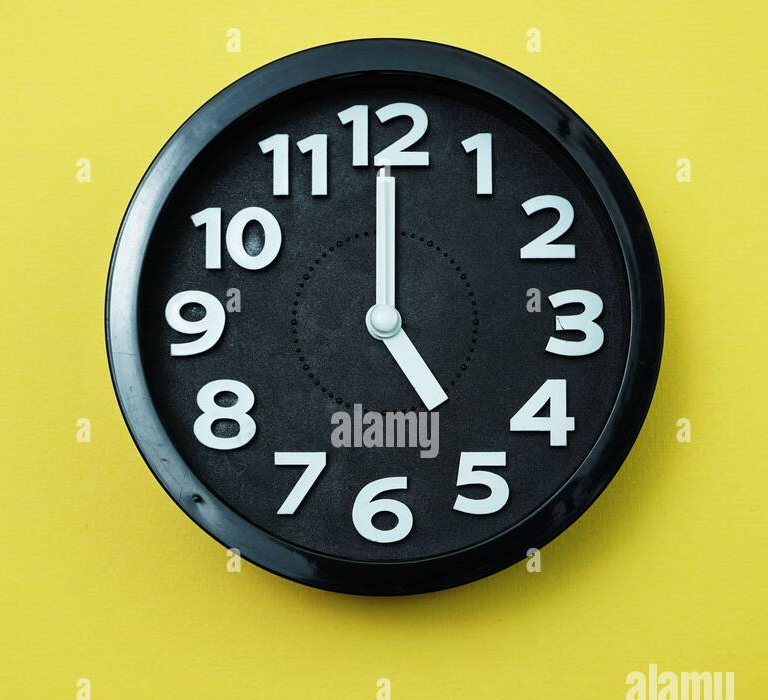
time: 5:00
